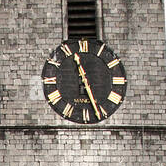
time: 11:26
